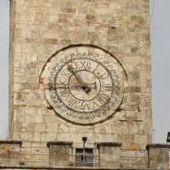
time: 10:43
